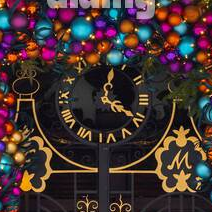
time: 12:20
